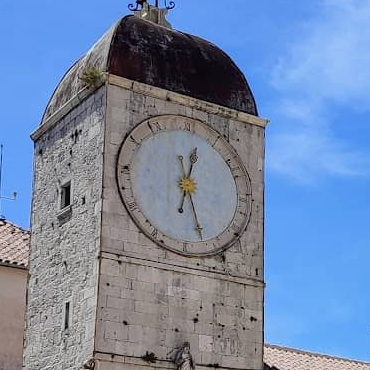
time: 12:26
